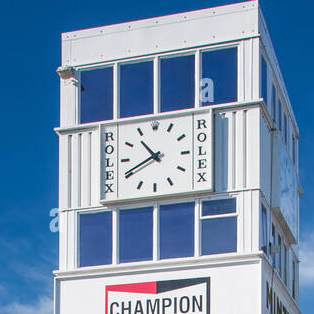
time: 10:40
